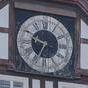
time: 9:34
